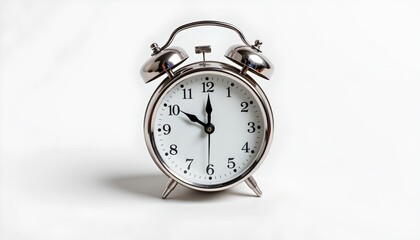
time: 10:00
